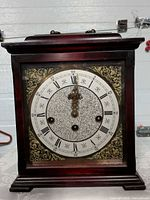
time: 12:00
